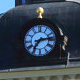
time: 7:13
